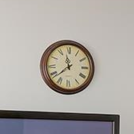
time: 11:38
